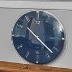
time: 10:22
